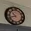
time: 10:42
